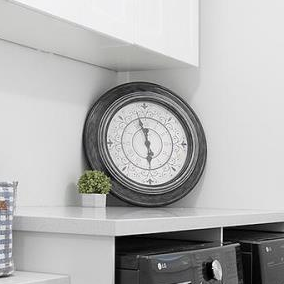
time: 5:57
